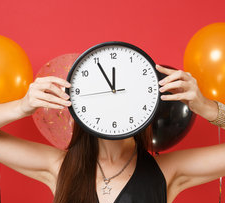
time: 11:54
